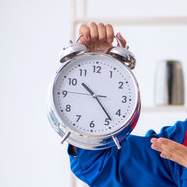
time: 10:23
